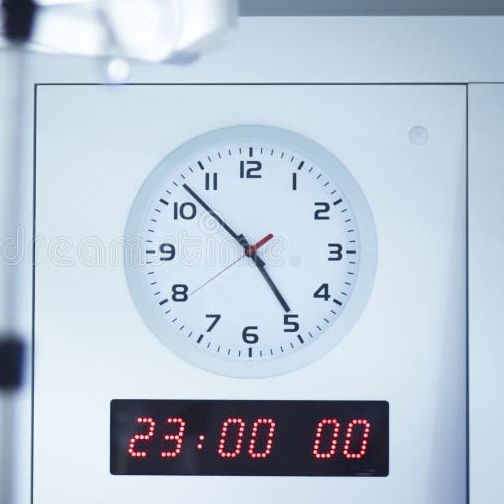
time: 4:52
